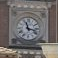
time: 11:17
